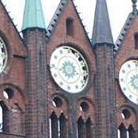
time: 6:42
